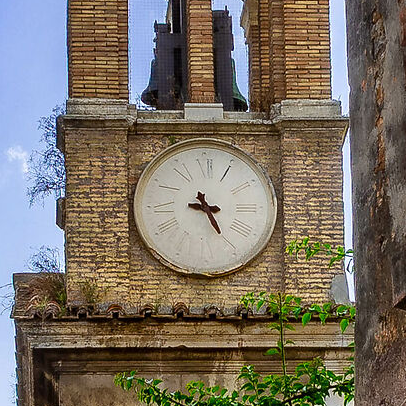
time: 9:25
